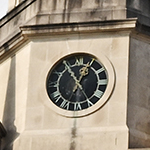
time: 12:54
